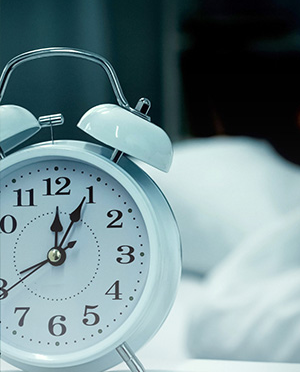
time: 12:04
